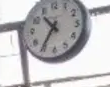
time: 10:35
